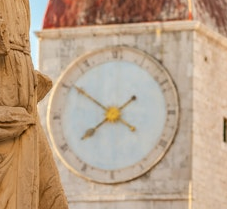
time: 7:50
